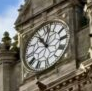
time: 11:02
